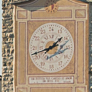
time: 1:42
